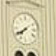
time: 7:39
